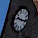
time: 10:20
